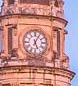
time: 5:04
